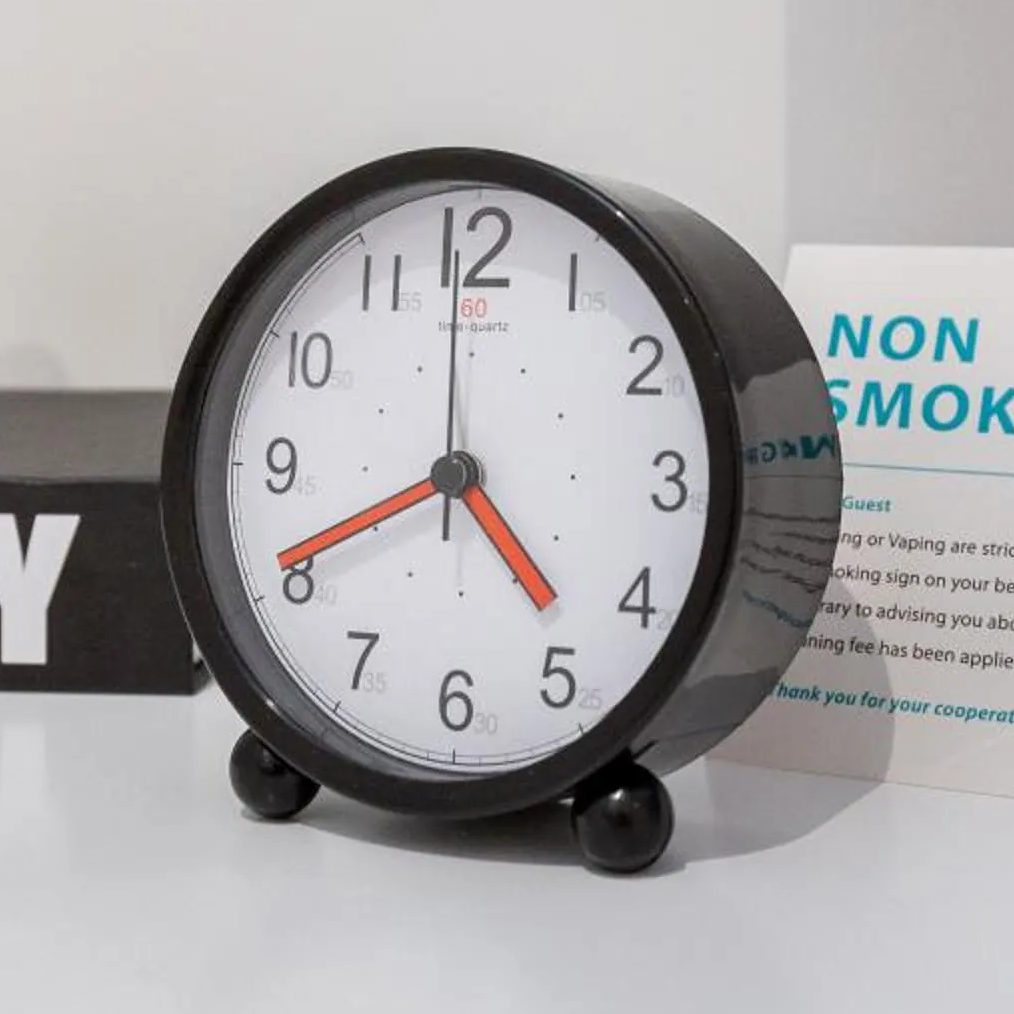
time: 4:40
